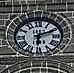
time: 6:11
